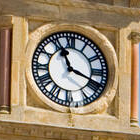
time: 11:18
